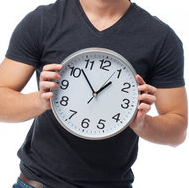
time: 12:52
